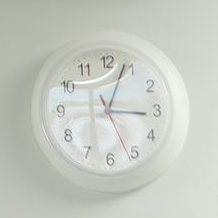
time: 3:03
